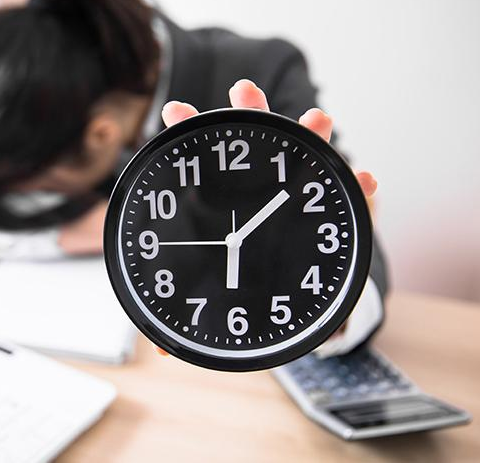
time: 6:07
